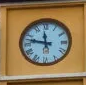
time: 11:47
